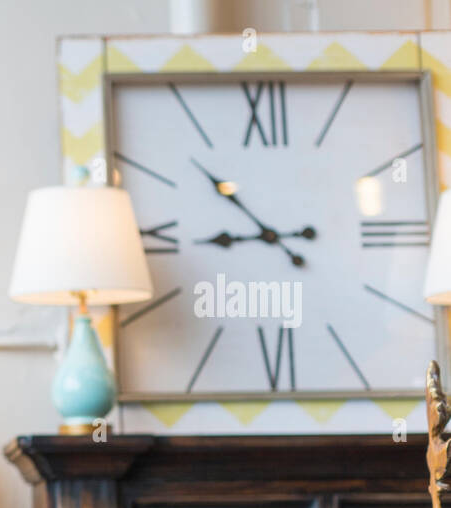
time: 8:52
